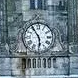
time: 5:54
